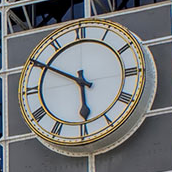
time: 5:50
